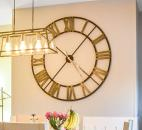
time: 10:07
